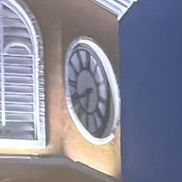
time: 6:40
